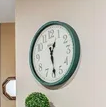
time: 12:28
